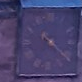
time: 10:21
